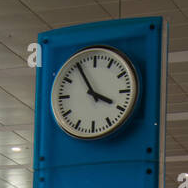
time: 3:54
